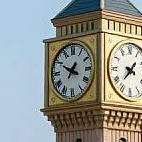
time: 12:49
